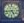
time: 4:43
